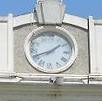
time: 1:41
